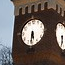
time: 5:31
